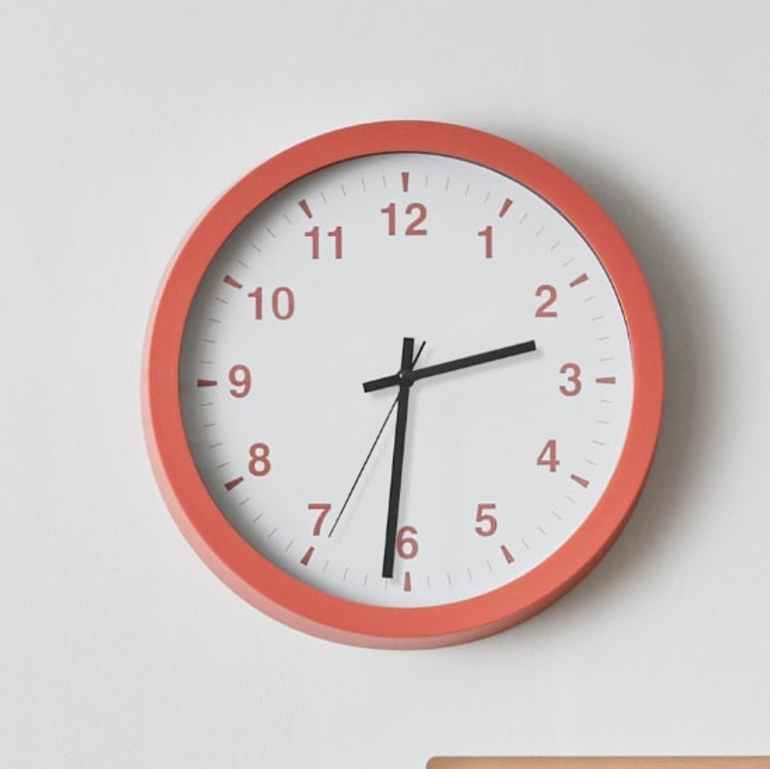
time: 2:30
